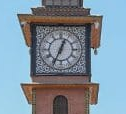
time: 12:34
